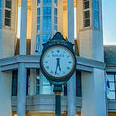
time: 5:31
